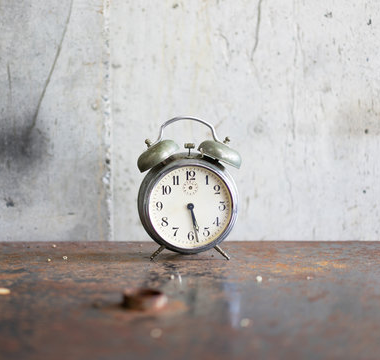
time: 5:28
